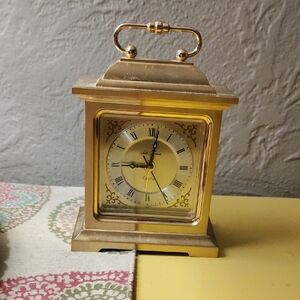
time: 9:01
